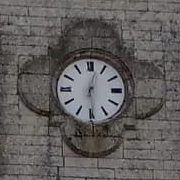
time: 12:28
